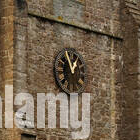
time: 12:57
